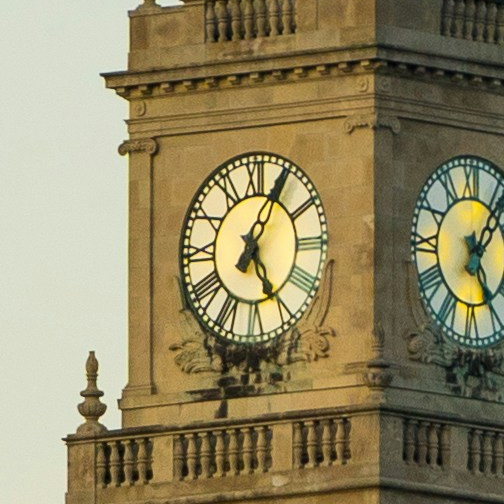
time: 5:05
